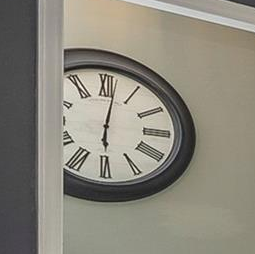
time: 6:01
